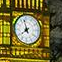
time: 7:57
